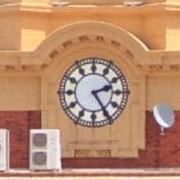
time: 2:24
